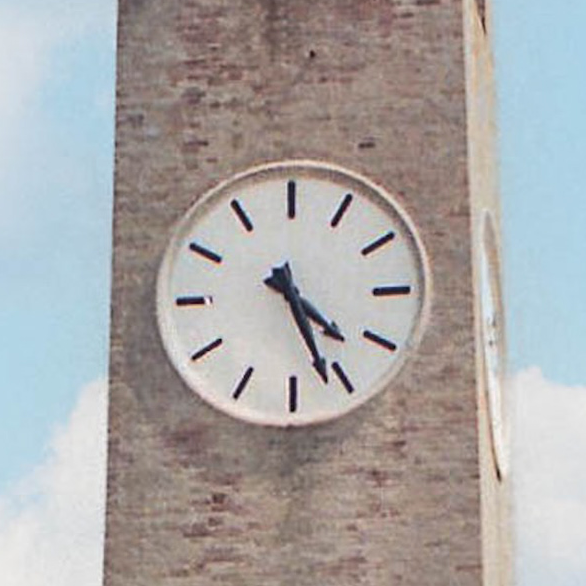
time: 4:26
